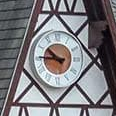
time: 10:45
